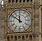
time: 11:51
